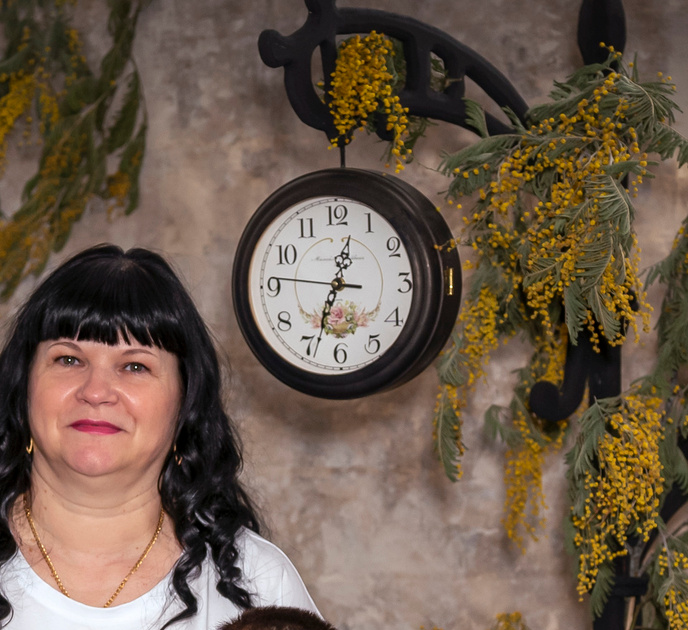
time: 12:33
